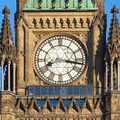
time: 8:16
